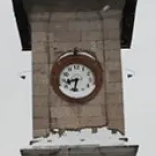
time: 8:32
